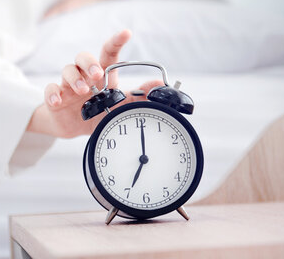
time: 7:00
